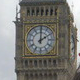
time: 2:00
